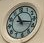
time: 11:17
